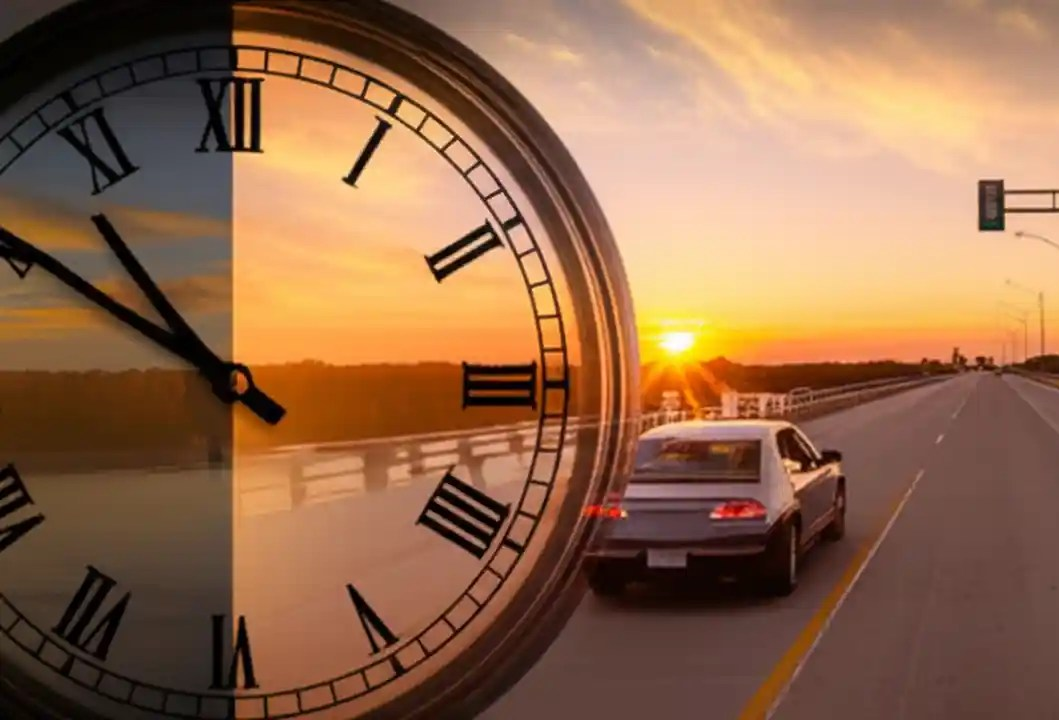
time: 10:50
